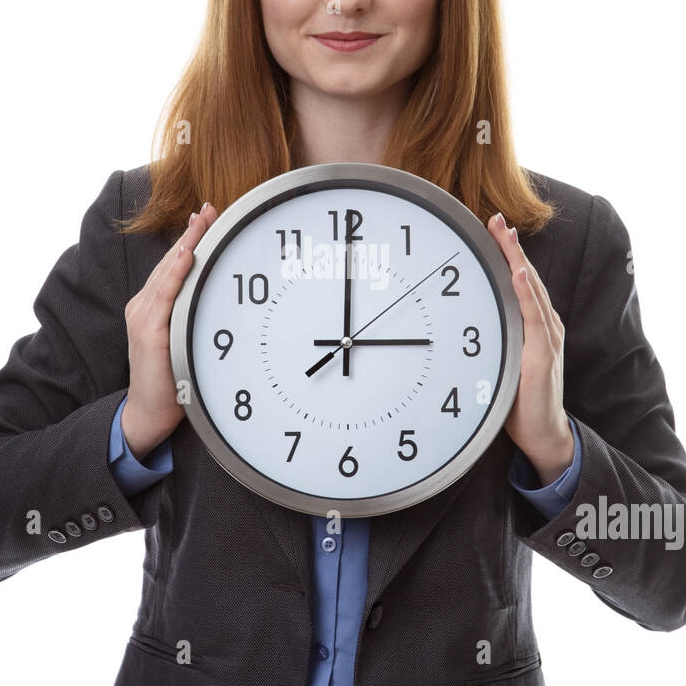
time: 3:00
